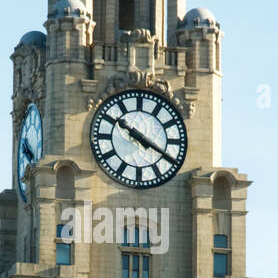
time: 10:19
